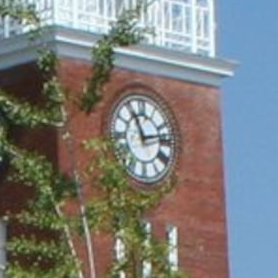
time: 11:12
